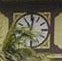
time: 11:01
